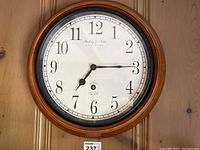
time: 7:14
